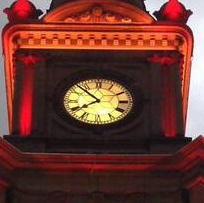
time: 7:52
